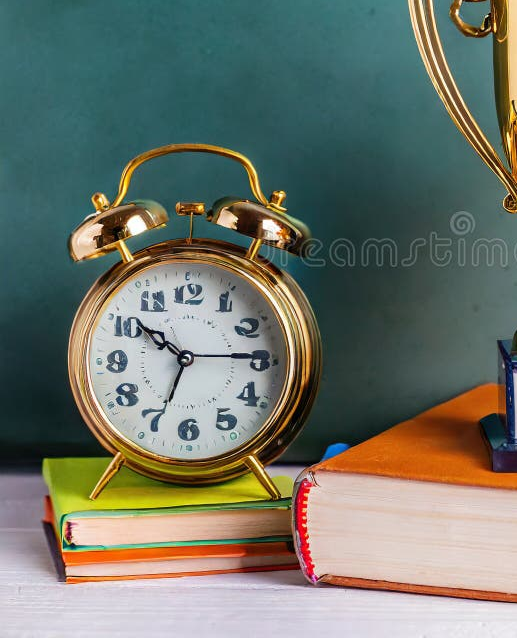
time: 10:14
